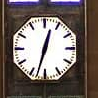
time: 12:32
